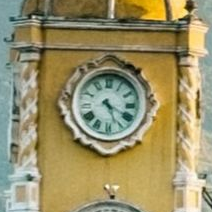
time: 4:26
